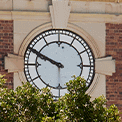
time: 9:49
